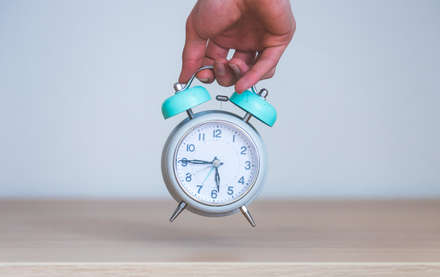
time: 5:45
